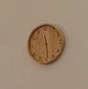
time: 11:29
